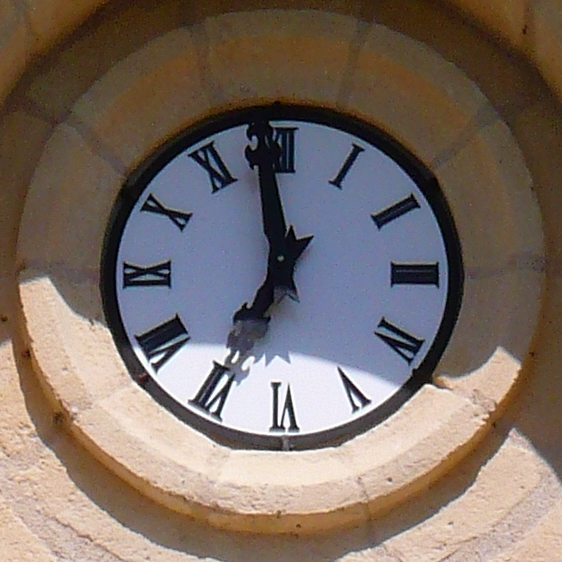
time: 6:58
